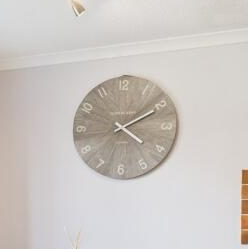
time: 4:10
